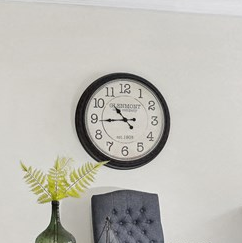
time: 10:44
